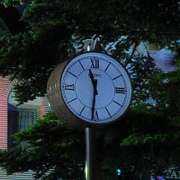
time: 11:31
